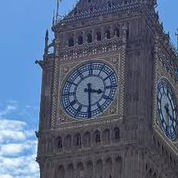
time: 3:29
